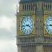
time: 3:43
